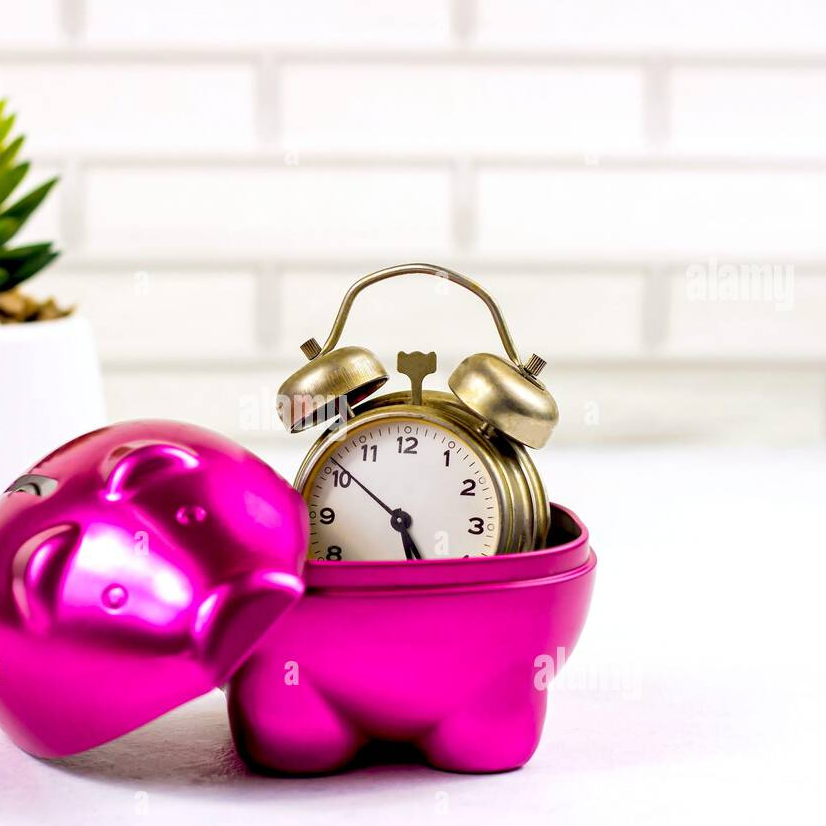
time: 5:51
